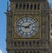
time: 1:46
